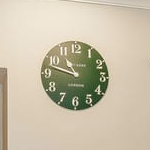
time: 10:47
